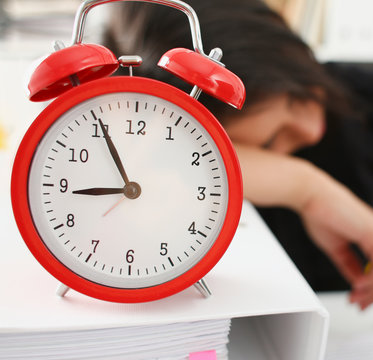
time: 8:55
